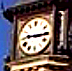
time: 9:15
